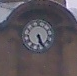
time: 5:26
